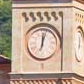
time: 12:02
